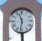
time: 11:31
